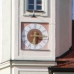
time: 6:15
